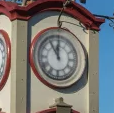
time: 11:54
